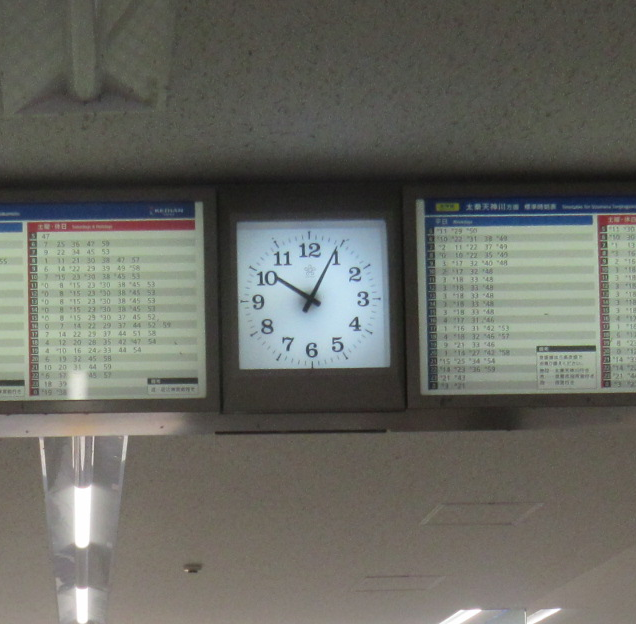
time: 10:04
